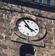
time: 3:55
